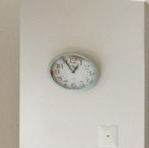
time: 12:55
